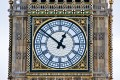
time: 12:51
